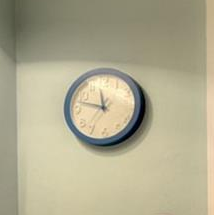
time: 11:47
